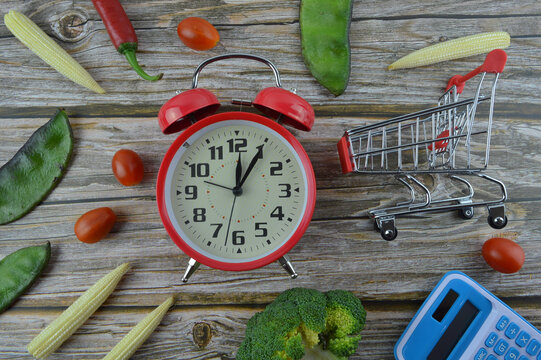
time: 12:05
